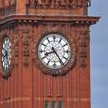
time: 8:24
